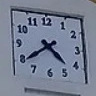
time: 4:39
